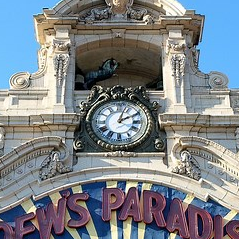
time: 2:02
